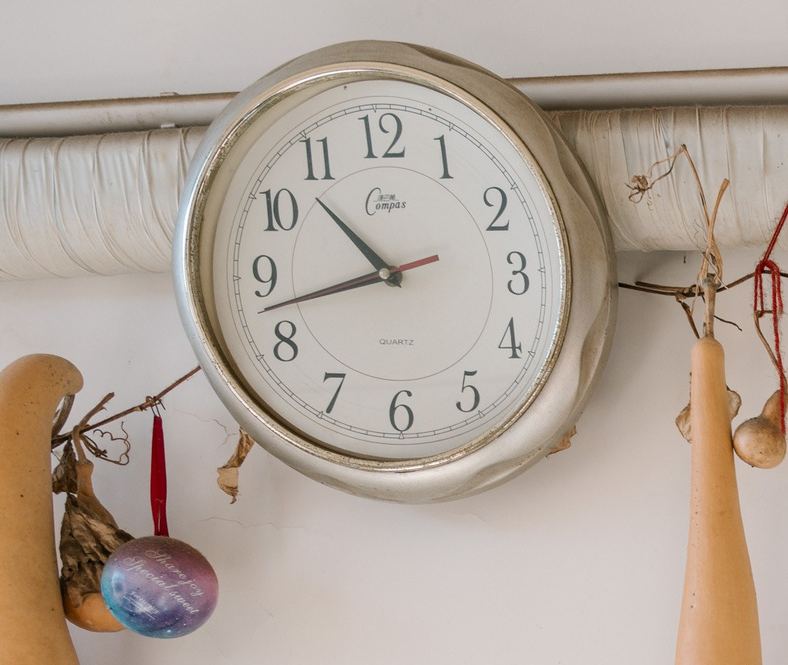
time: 10:42
